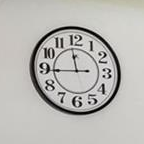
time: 11:44
